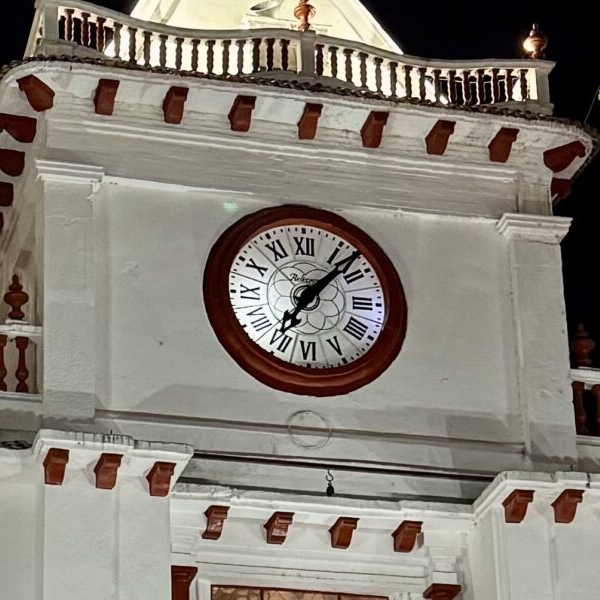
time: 7:07
